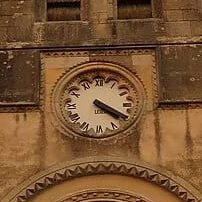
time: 4:20
